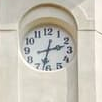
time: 2:32
